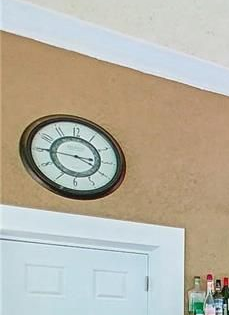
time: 3:45
